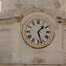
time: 1:27
